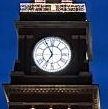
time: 6:55
